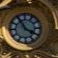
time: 3:55
